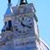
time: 11:18
